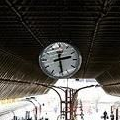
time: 2:28
